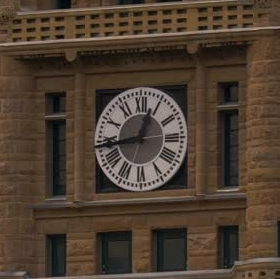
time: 12:43
